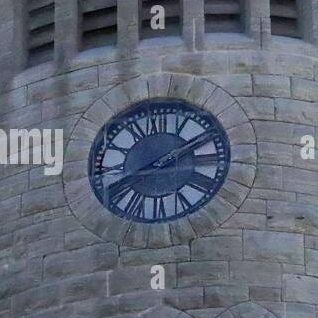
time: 8:09
